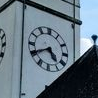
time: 4:40
